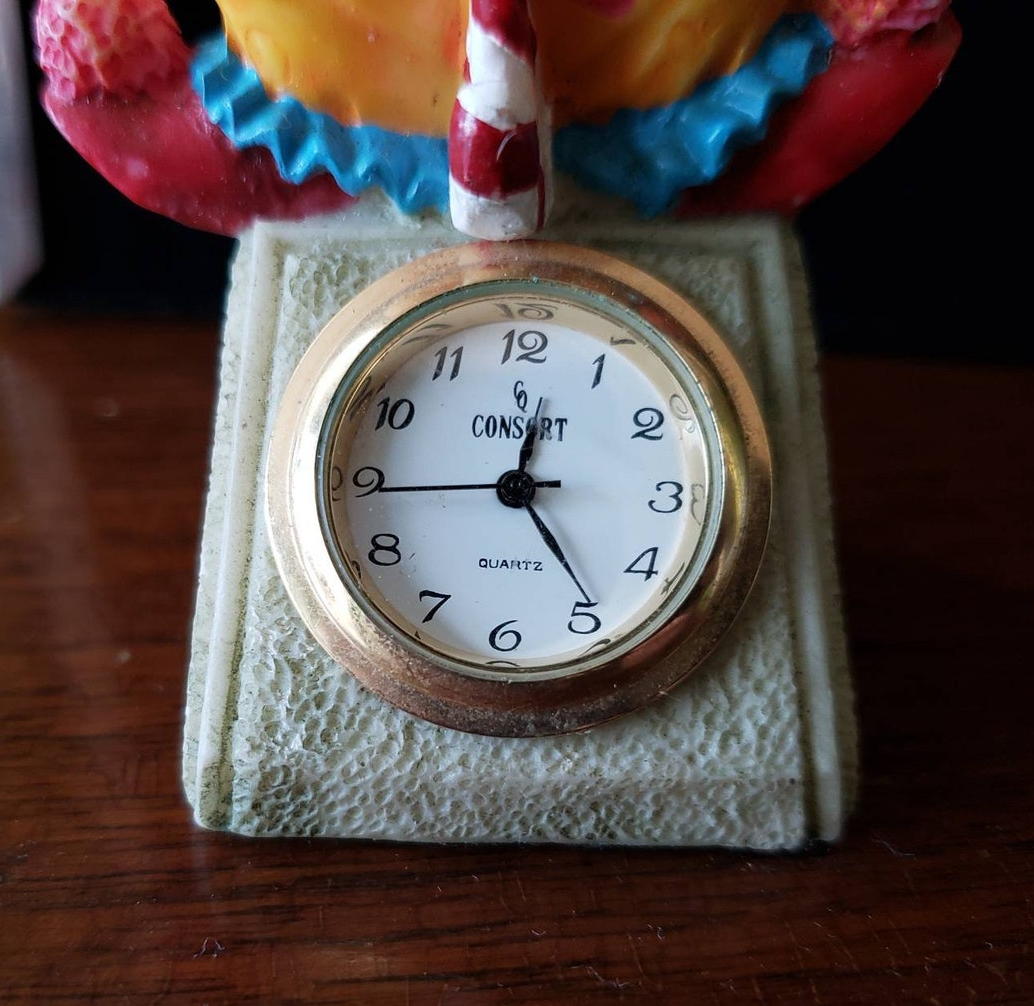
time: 12:23
